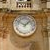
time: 1:50
